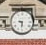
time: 9:30
